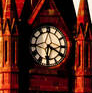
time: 6:19
